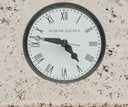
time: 4:46
